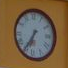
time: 6:35
